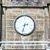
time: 2:32
